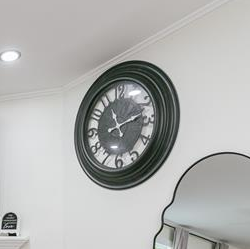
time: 11:13
